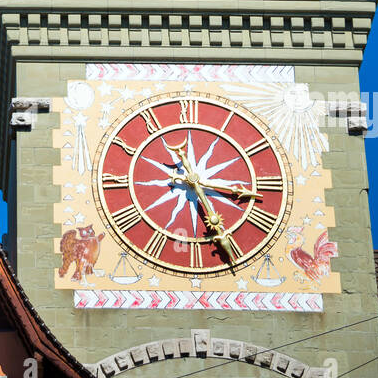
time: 3:26
